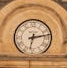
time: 6:13
